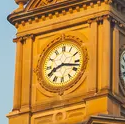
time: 8:17
